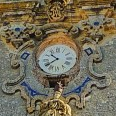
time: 10:39
